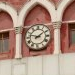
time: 1:47
